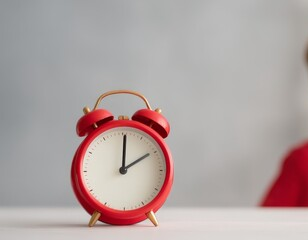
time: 2:00
